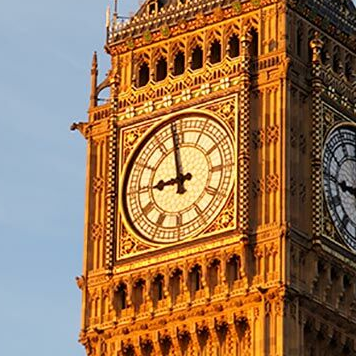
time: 8:58
